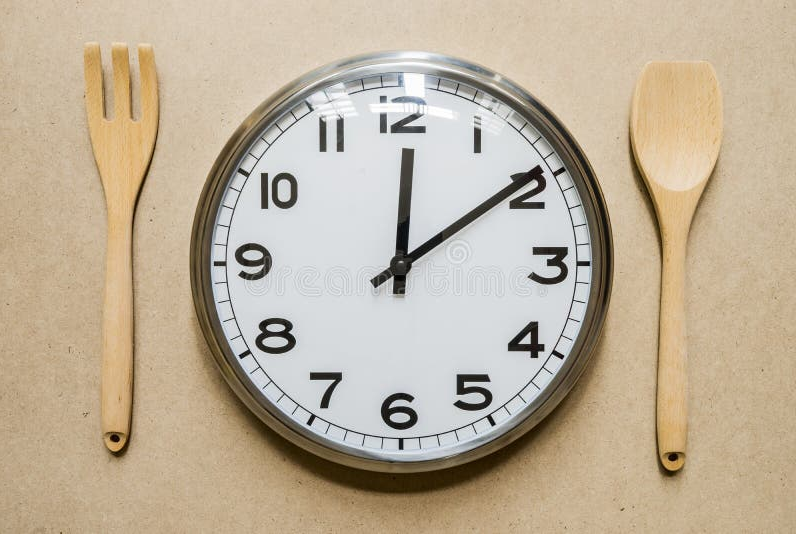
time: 12:09
